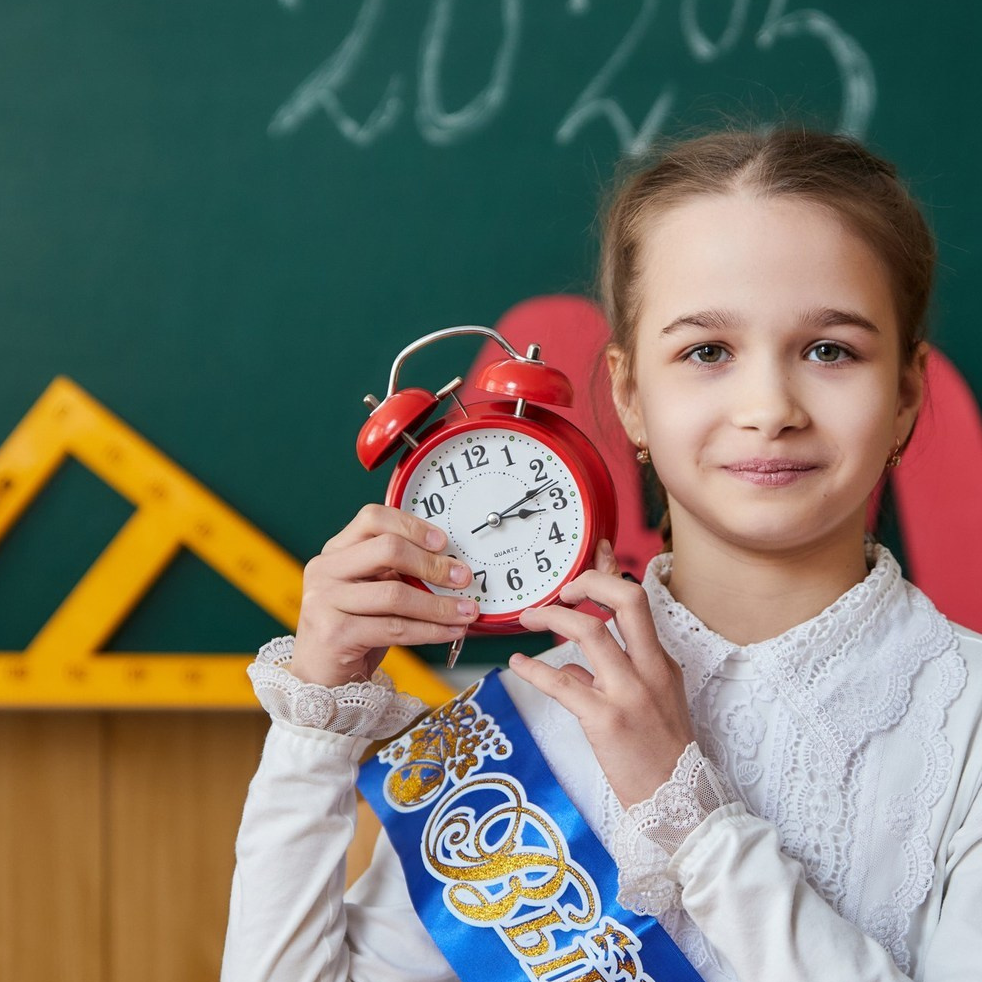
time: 3:12
